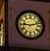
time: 9:12
